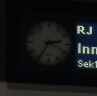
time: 2:35
